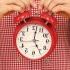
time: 5:01
